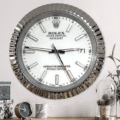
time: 2:46
